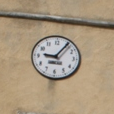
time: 9:05
